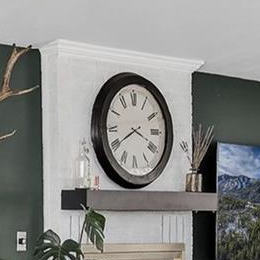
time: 3:39
